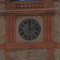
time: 12:13
